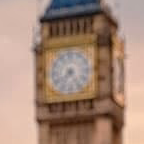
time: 7:24
